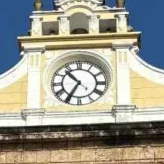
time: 10:35
